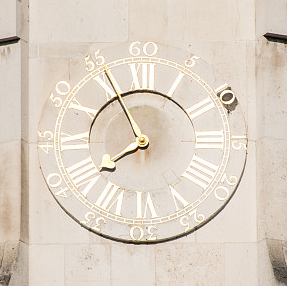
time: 7:55
